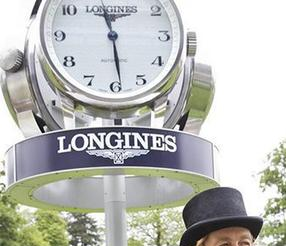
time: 11:28
